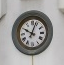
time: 10:03
